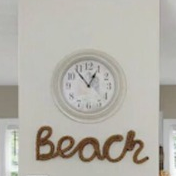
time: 12:53
